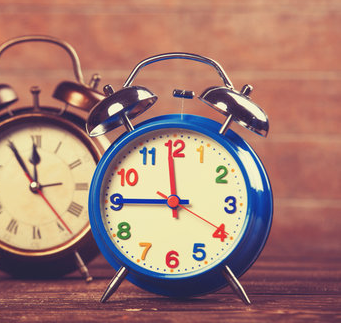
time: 11:45
